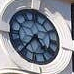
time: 4:36
